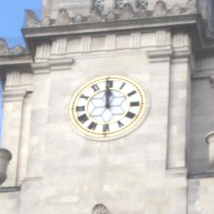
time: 11:59
